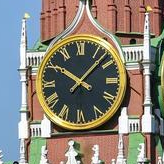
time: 10:07
